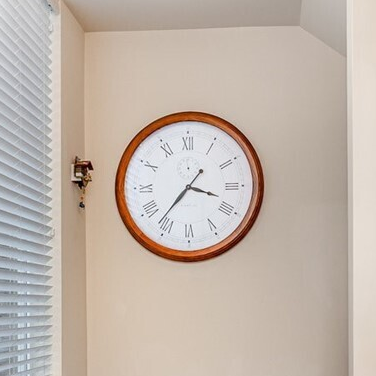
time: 3:36
